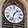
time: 1:33
